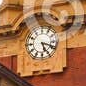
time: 5:18
